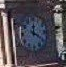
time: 12:19
